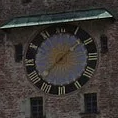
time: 1:38
